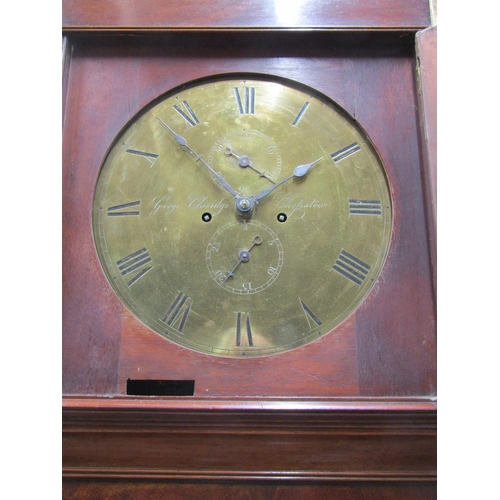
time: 1:53
